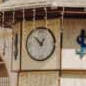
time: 12:52
